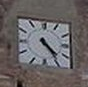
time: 4:24
